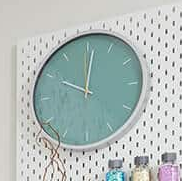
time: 10:01
